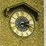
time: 2:17
